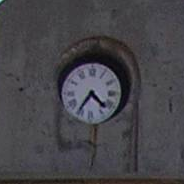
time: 4:35
